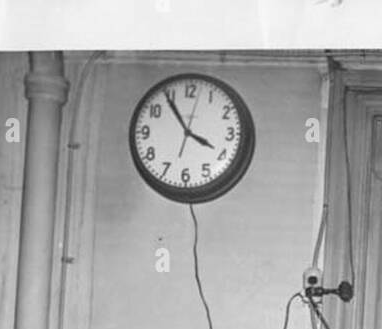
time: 3:54
